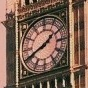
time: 1:41
